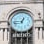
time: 12:45
